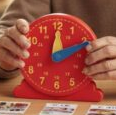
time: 12:10
